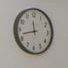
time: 11:42
